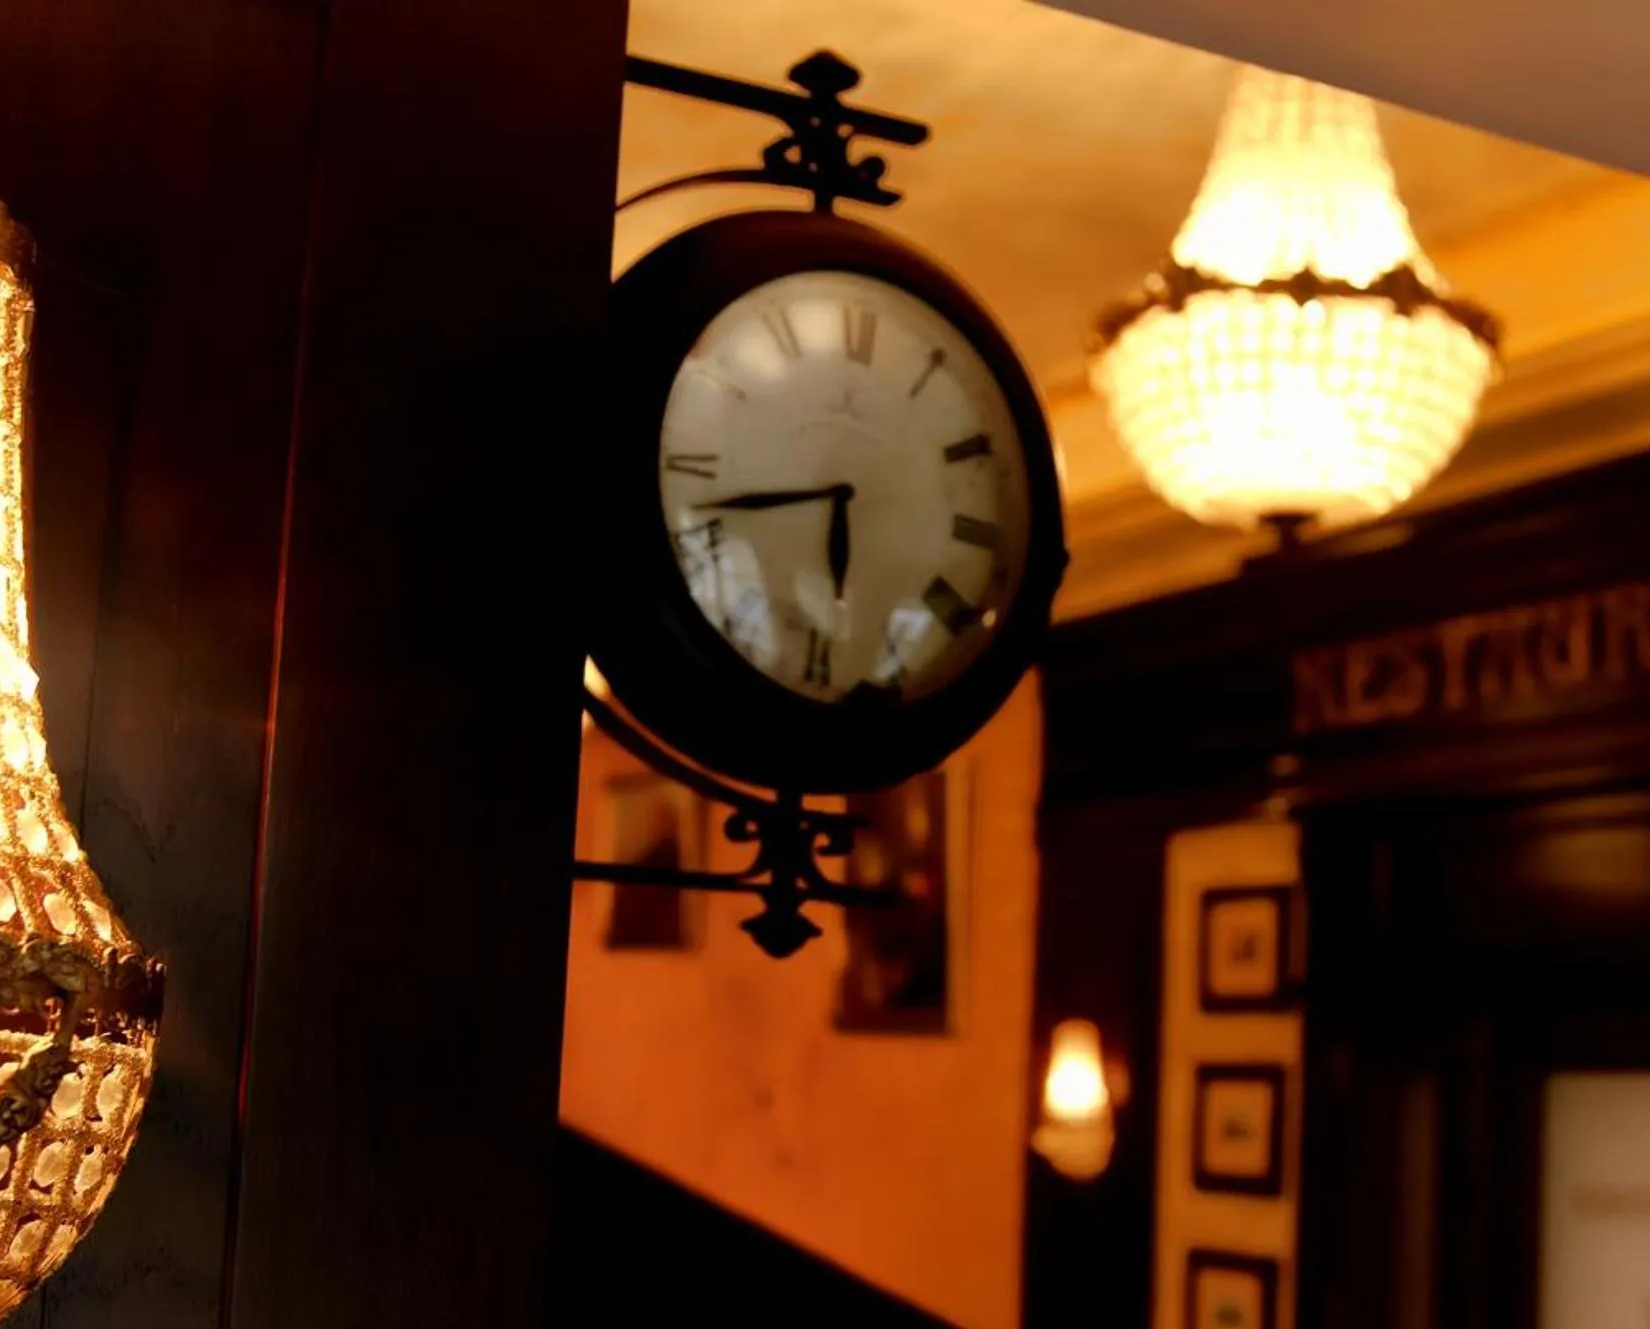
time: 5:42
